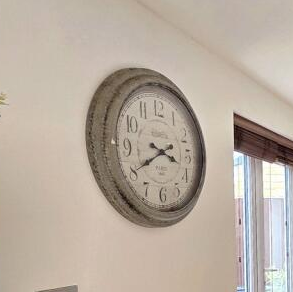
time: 3:40
